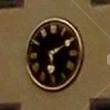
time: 6:10
